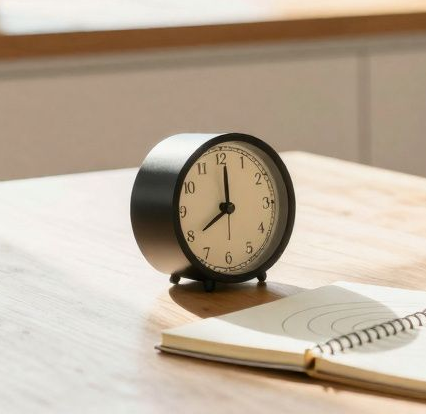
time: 8:00
